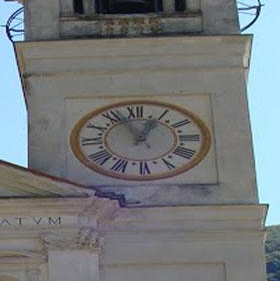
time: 12:56
